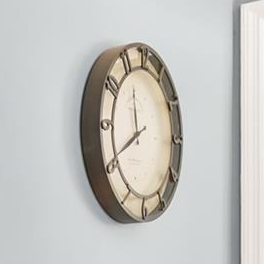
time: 11:40
